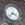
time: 3:37
